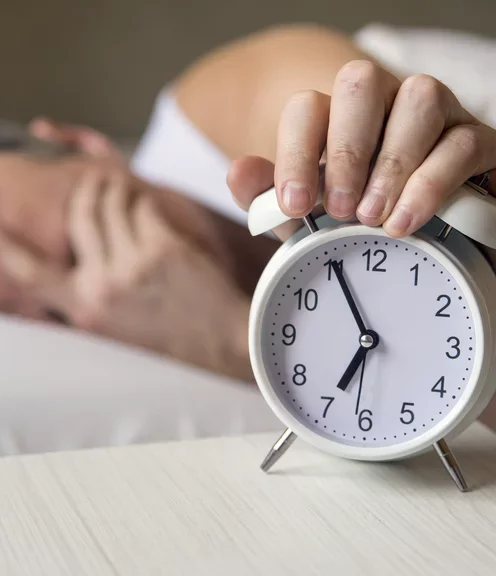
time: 6:55
